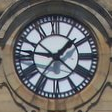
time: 1:46
